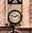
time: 1:47
